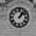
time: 1:07
